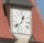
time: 12:38
